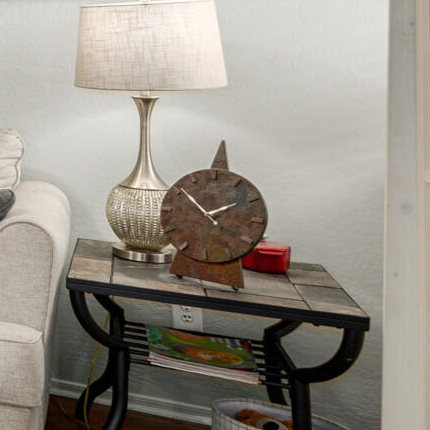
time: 1:51
